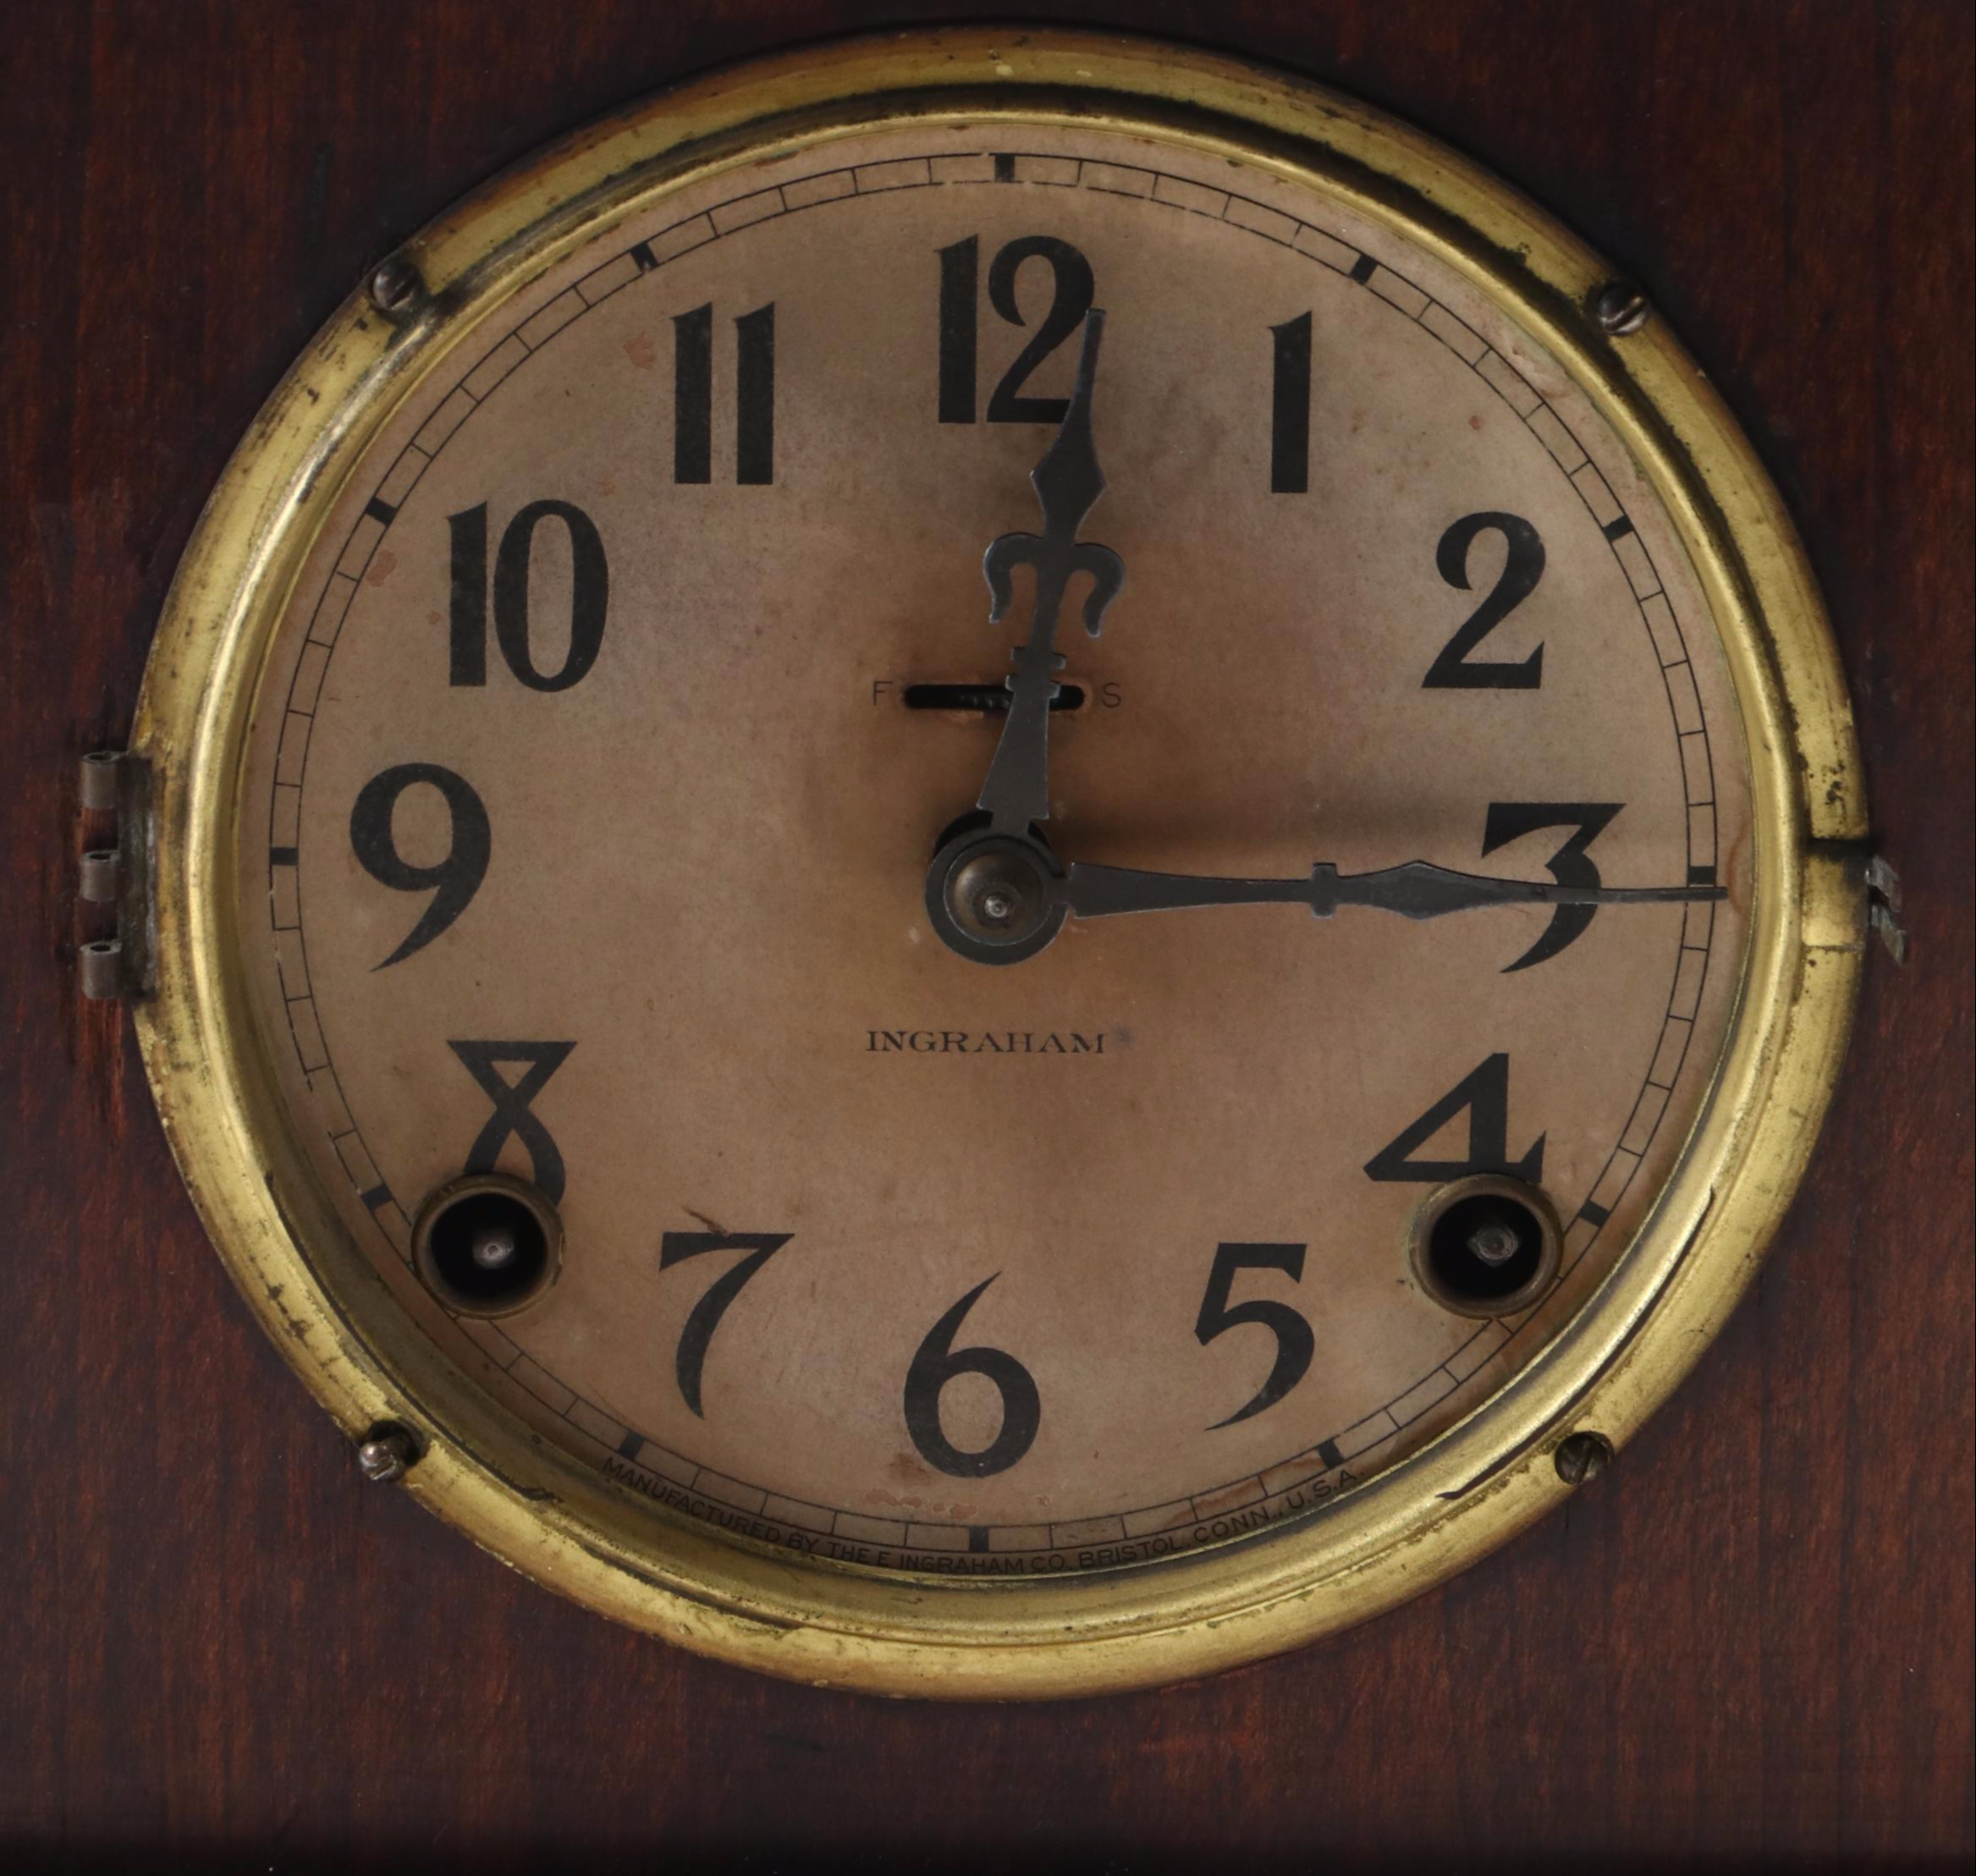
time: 12:15
